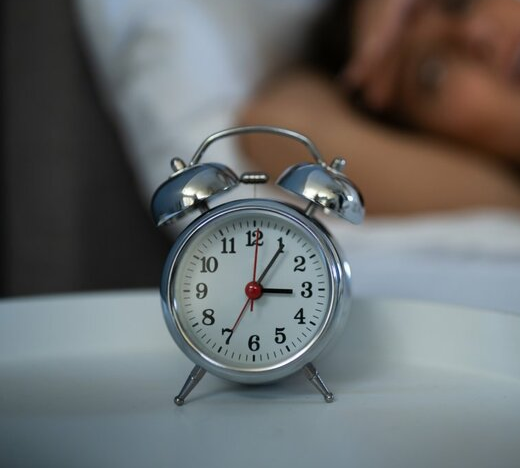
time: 3:05
